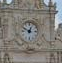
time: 12:49
